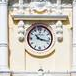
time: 10:17
